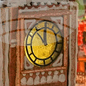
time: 11:53
